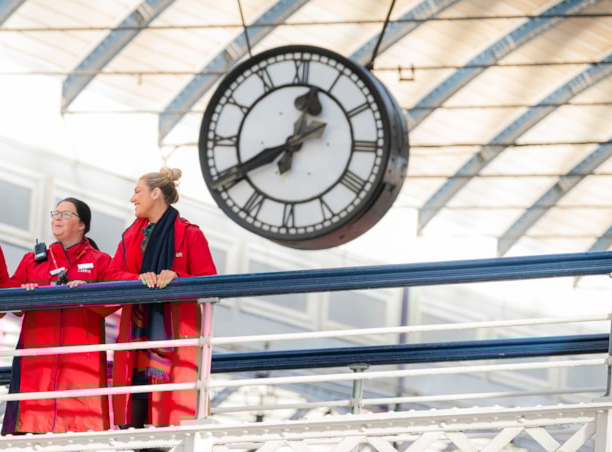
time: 12:40
